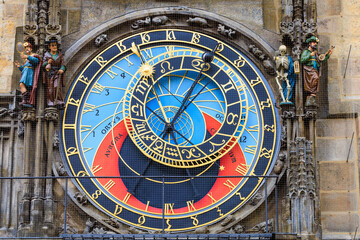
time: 7:04
